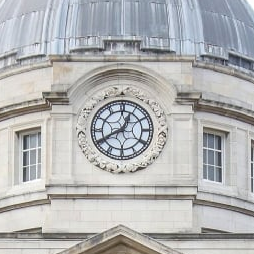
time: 12:40
